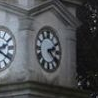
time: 2:21
